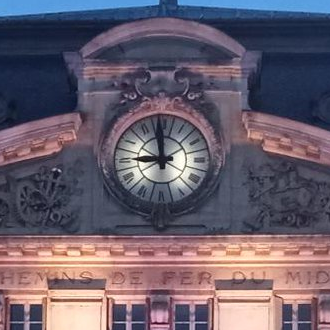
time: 8:59
